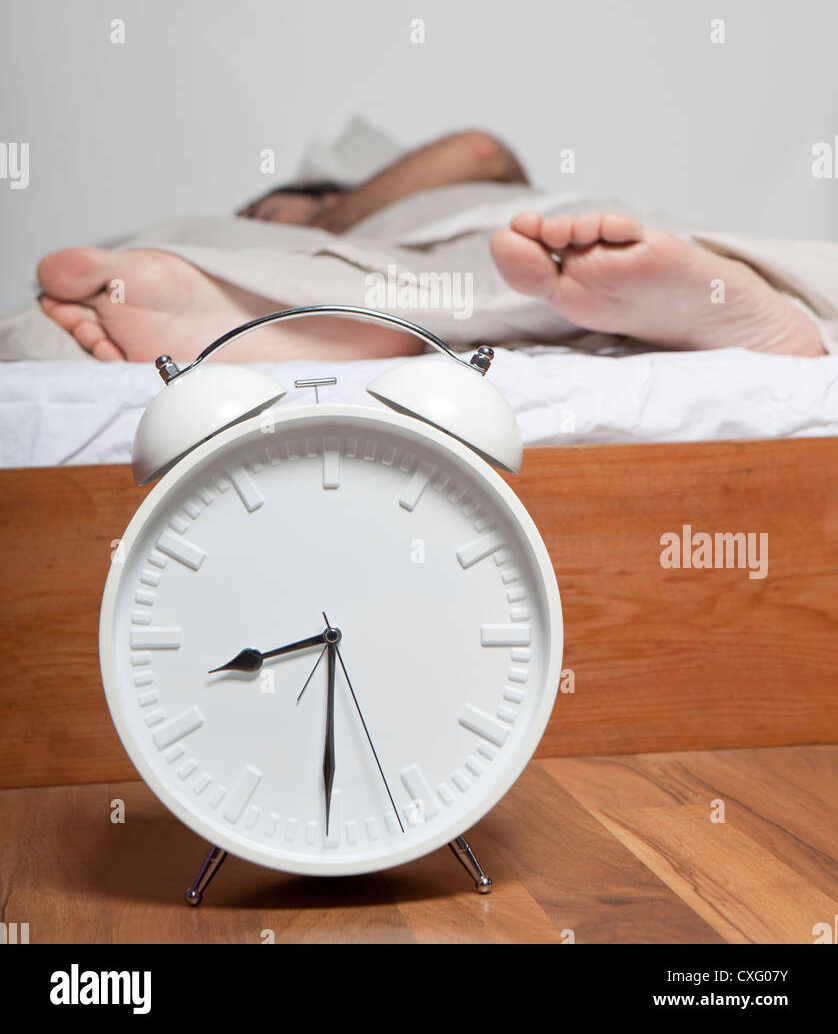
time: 8:30
